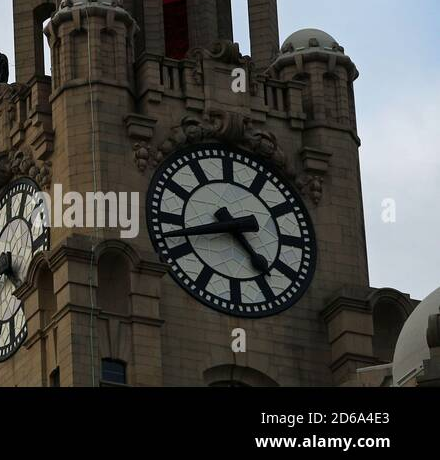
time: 4:42
